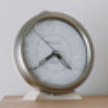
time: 4:38
